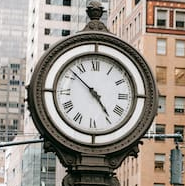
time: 4:52
